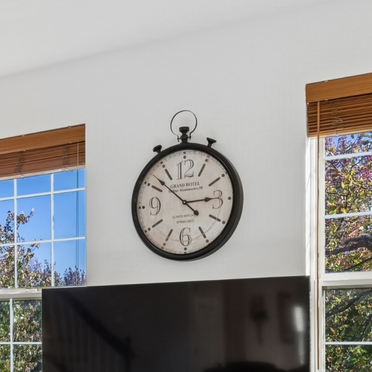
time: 2:52
